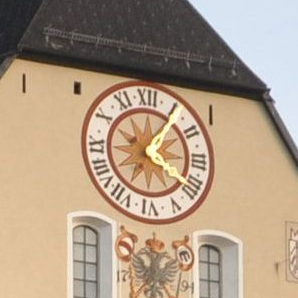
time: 4:05
